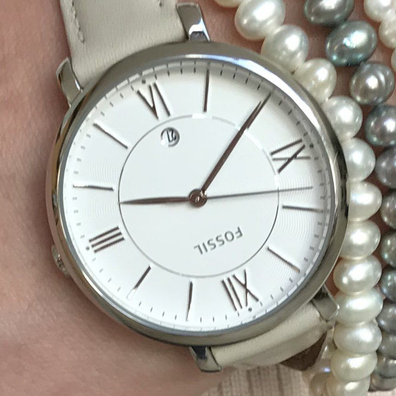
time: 9:05
